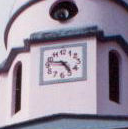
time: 4:47
